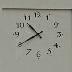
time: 10:39
